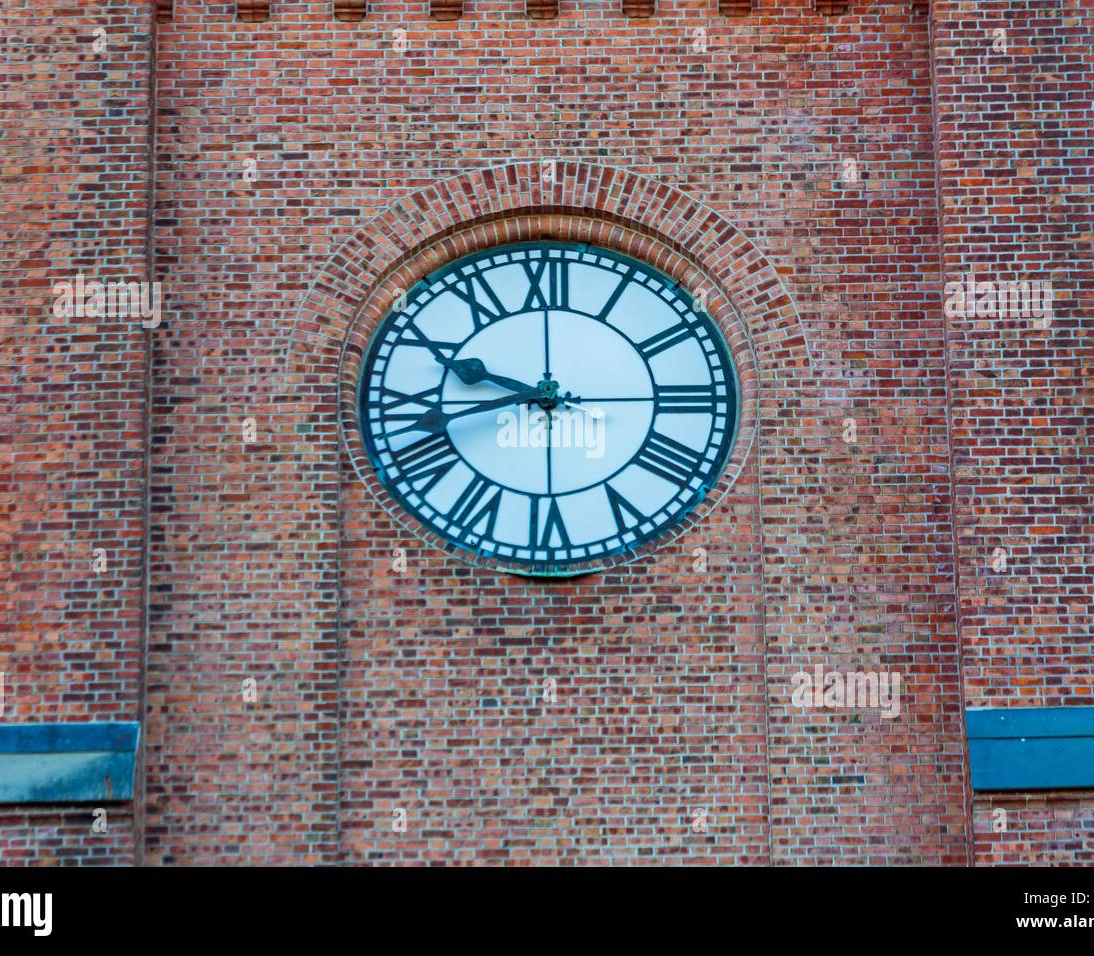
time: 9:42
